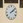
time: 2:08
